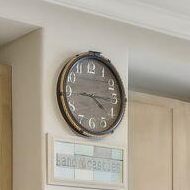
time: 4:15
